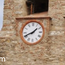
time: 1:41
